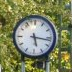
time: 5:16
